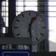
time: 12:28
